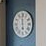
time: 5:59
